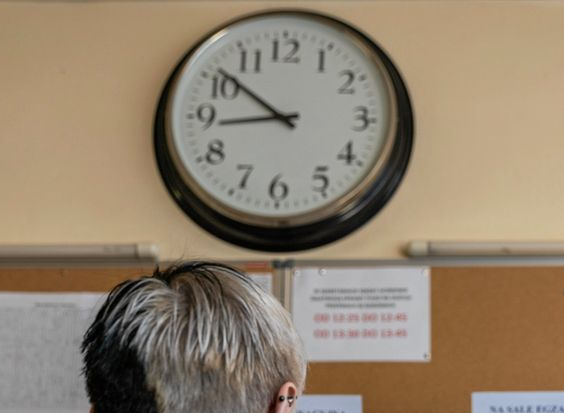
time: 8:51
